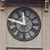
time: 11:46
